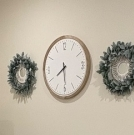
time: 7:29
